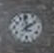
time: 1:59
